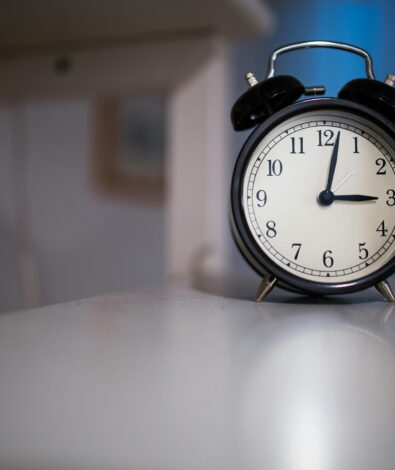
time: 3:02
